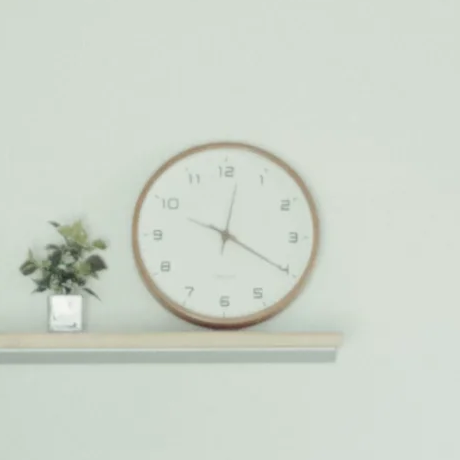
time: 12:20
